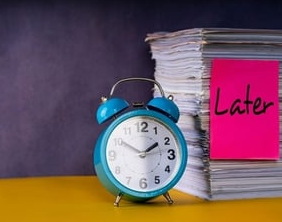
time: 1:50
